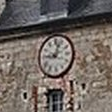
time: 9:03
